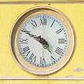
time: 4:49
